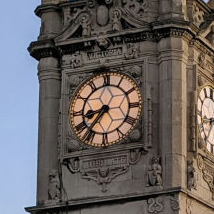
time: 8:36
